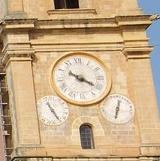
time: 10:20
